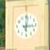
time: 3:01
